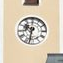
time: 10:32
